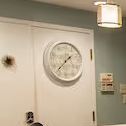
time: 1:37
